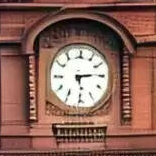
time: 5:14
